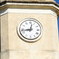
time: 12:43
